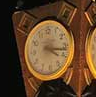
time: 4:17
